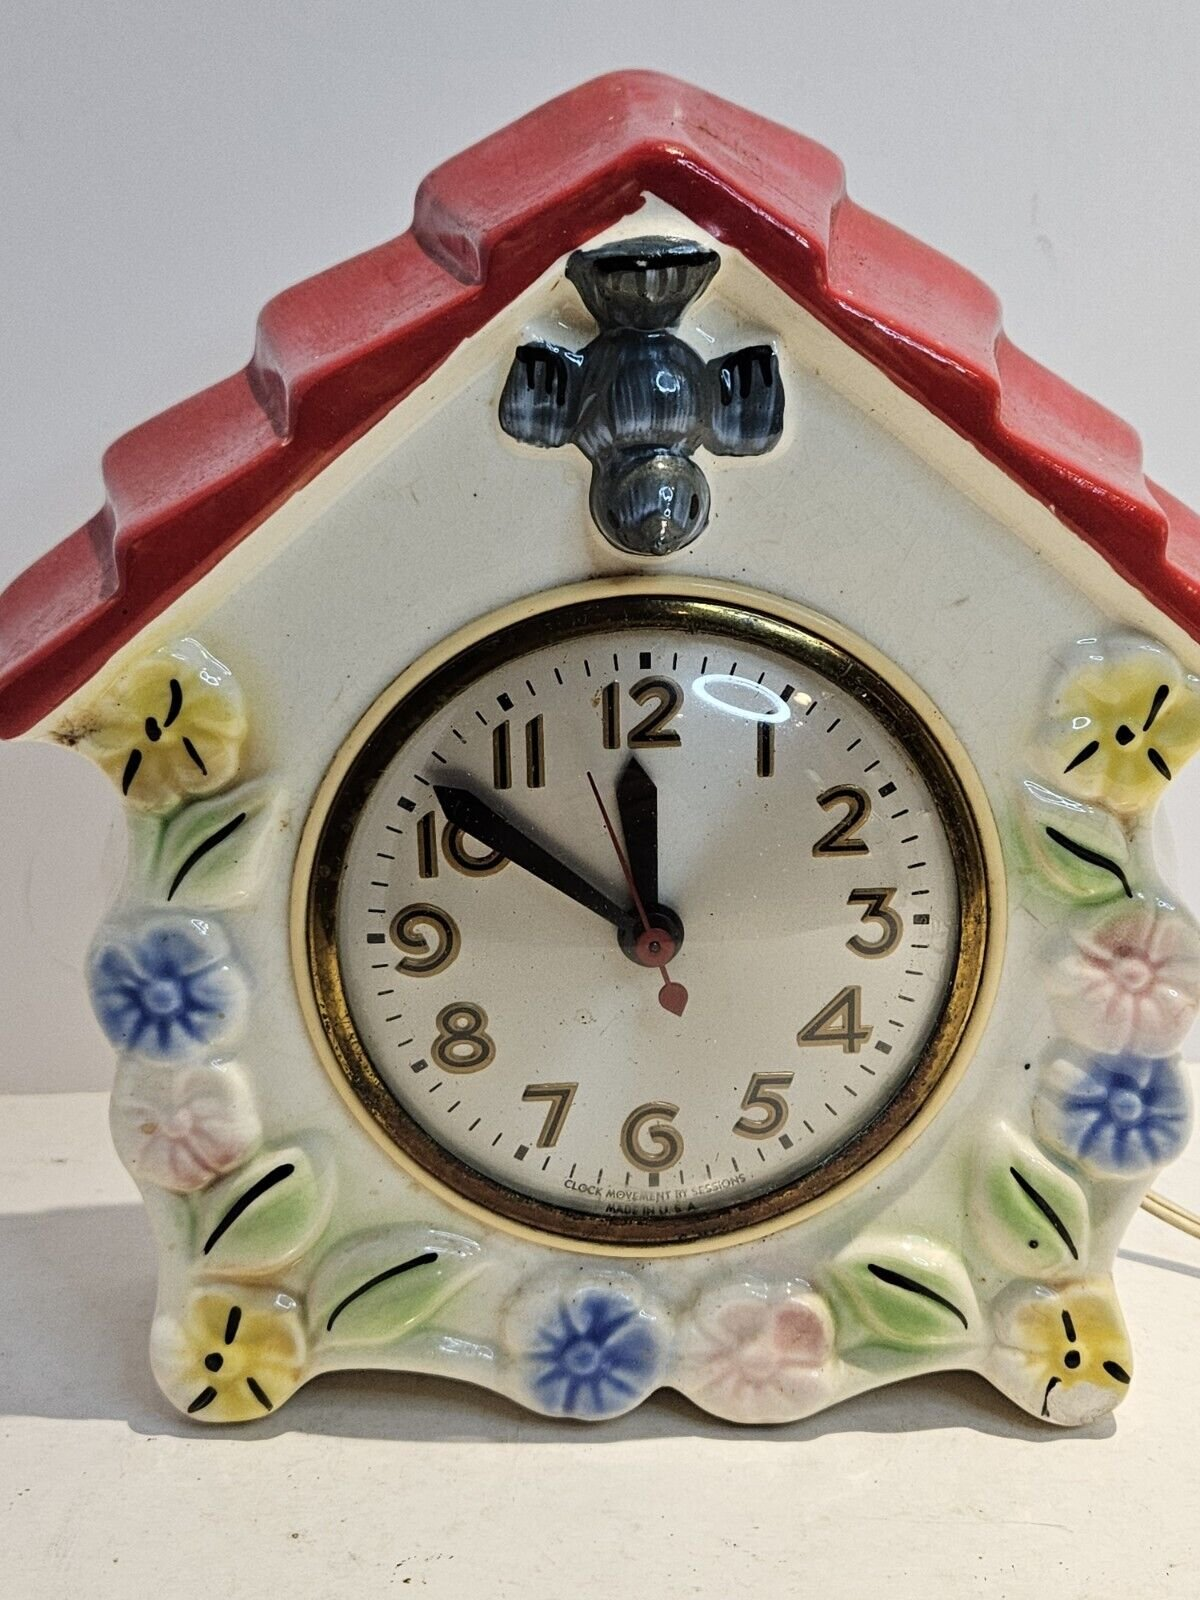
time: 11:51
